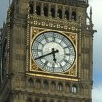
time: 5:40
